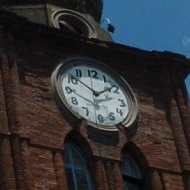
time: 1:51
